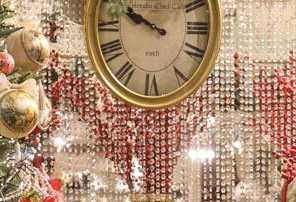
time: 9:50
